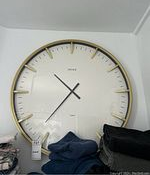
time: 10:36
